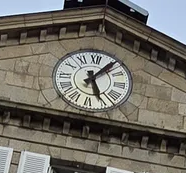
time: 5:05
